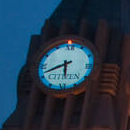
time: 5:41
